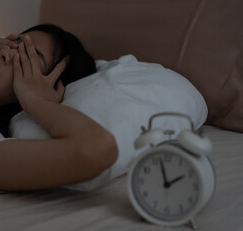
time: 1:57
